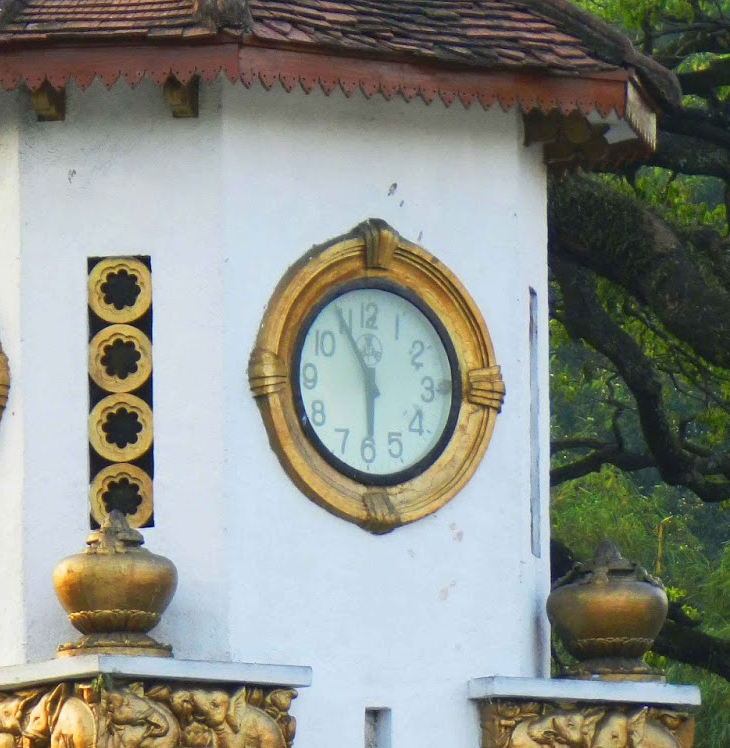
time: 5:54
